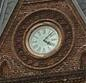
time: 4:07
